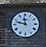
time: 11:47
